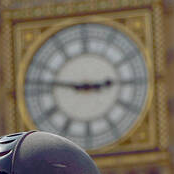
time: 2:46
